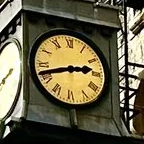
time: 2:42
